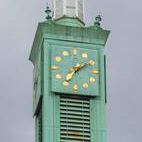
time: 7:09
